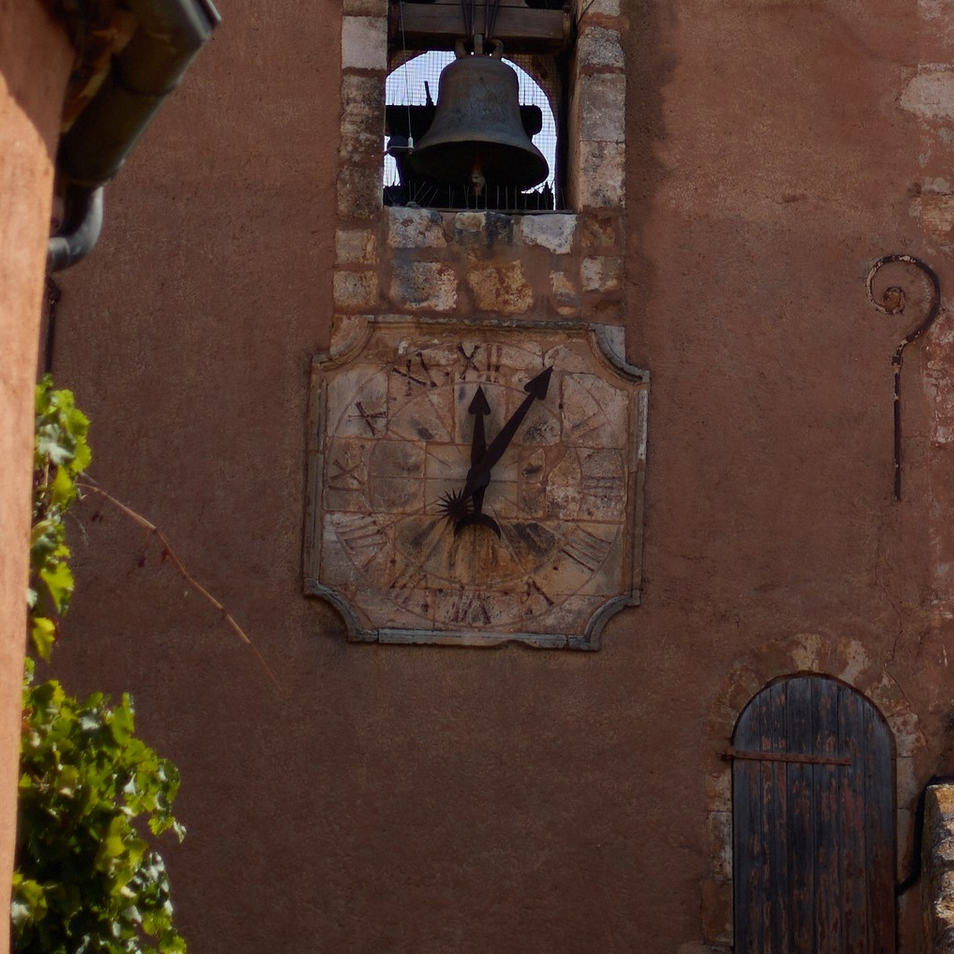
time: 12:05
